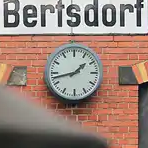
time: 1:42
